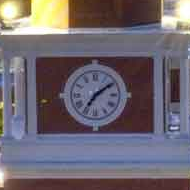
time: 7:09
